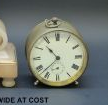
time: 10:37
